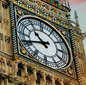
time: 10:41
